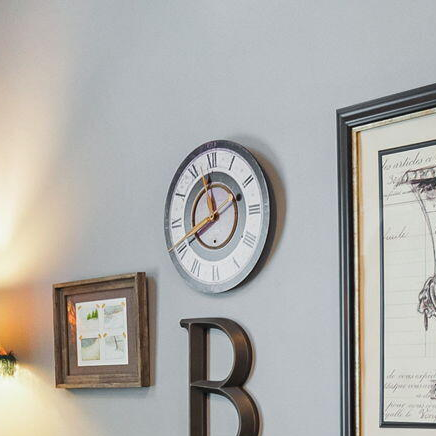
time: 11:40
